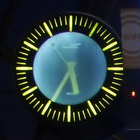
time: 5:34
